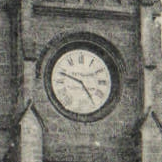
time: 4:48
